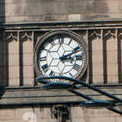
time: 3:11
